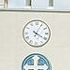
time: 4:04
